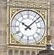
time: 10:07
